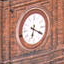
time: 6:19
